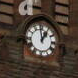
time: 12:58
